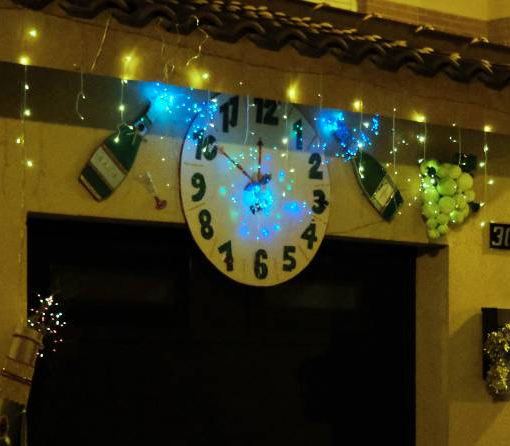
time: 11:51
